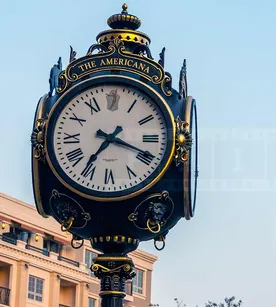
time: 7:18
